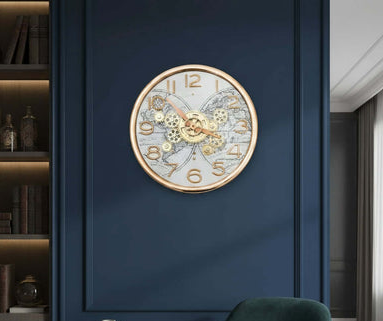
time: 3:52
